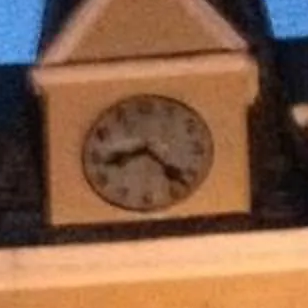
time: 8:22
